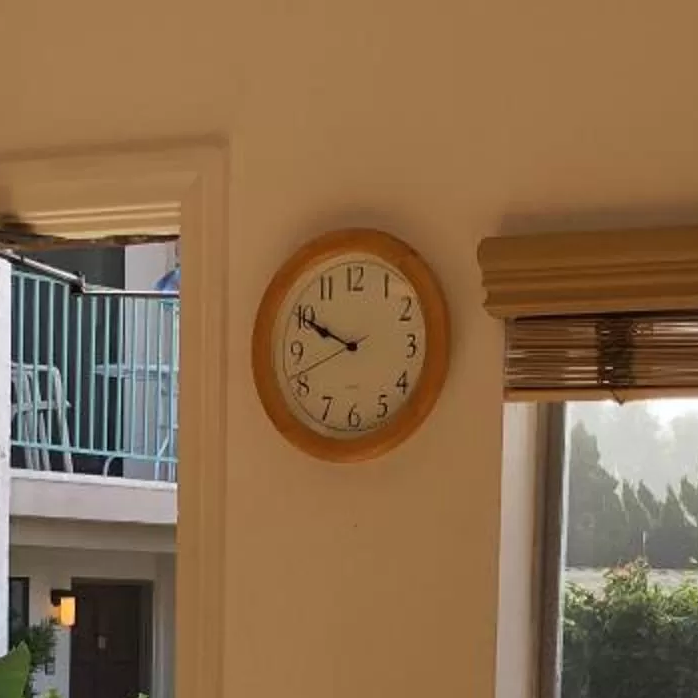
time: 9:49
